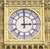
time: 2:59
